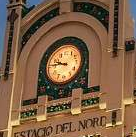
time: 9:45
